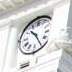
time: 10:24
